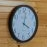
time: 4:01
